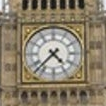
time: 4:37
